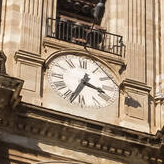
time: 3:33
